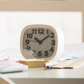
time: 10:08
